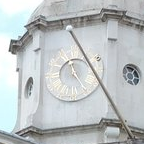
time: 11:24
